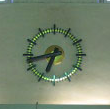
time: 6:43
